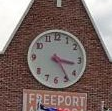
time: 3:24
